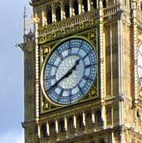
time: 1:41
